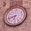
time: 6:41
